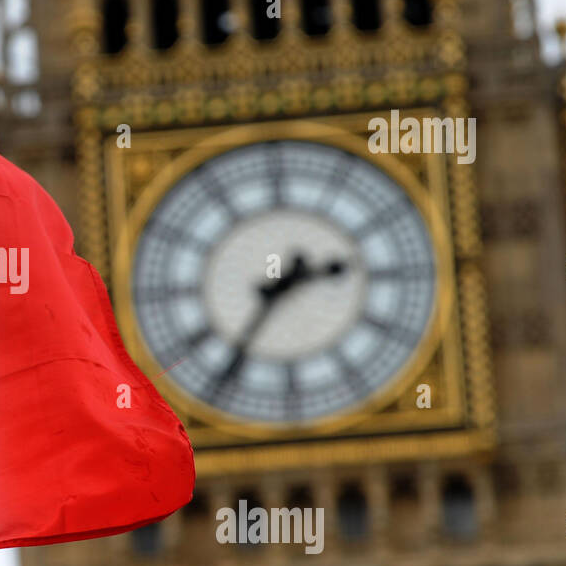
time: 2:36
